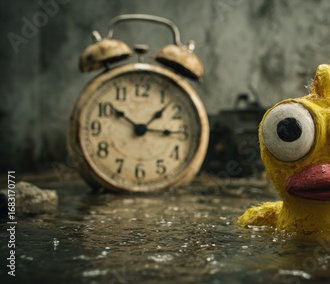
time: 10:15
